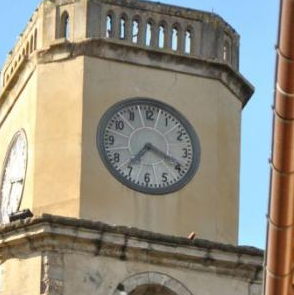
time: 7:18
